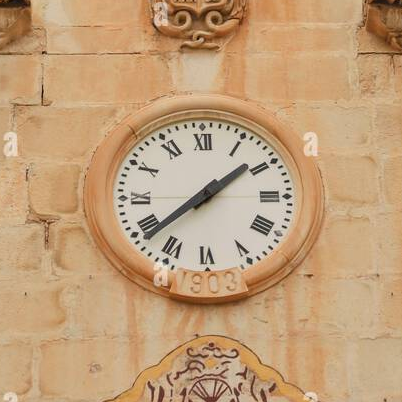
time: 1:38
